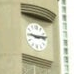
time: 9:13
